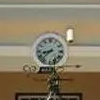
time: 8:37
